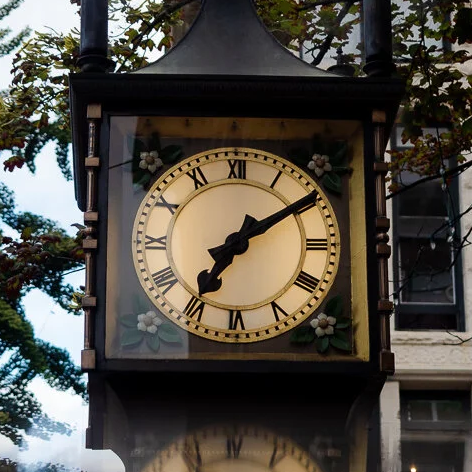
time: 7:09
